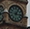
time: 3:04
